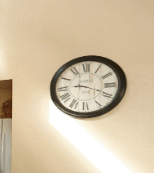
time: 9:18
